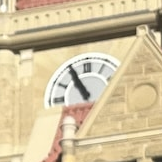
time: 10:55
